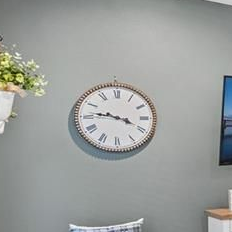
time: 3:46
